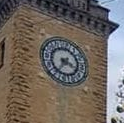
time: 3:36
